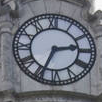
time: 2:34
